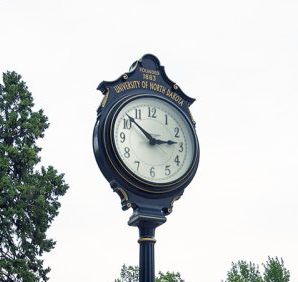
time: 2:51
